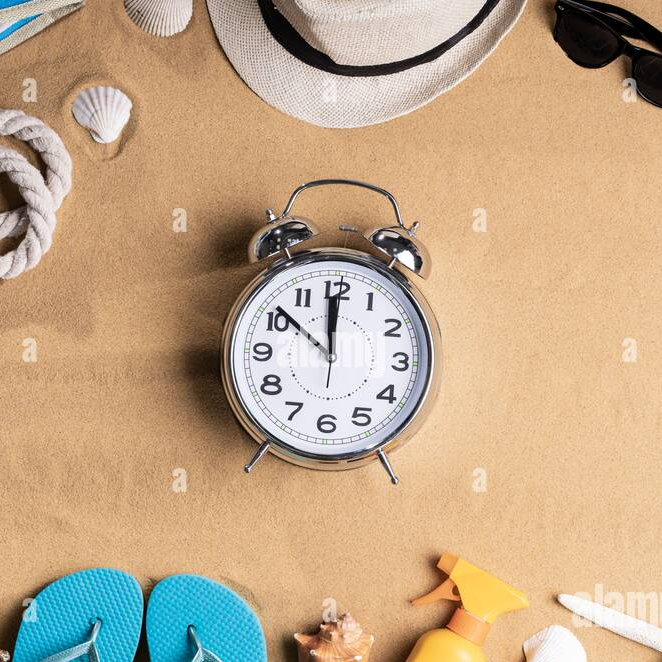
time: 11:51
